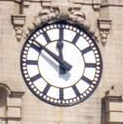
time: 11:51
